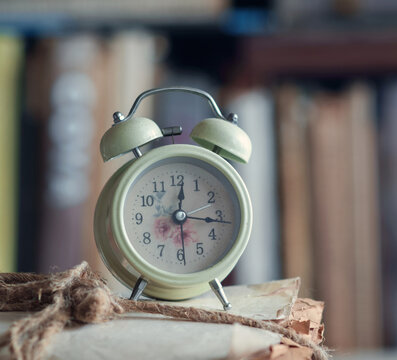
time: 12:16
